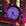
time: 4:32
